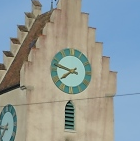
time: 7:47
